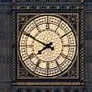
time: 7:49
